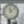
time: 11:07
